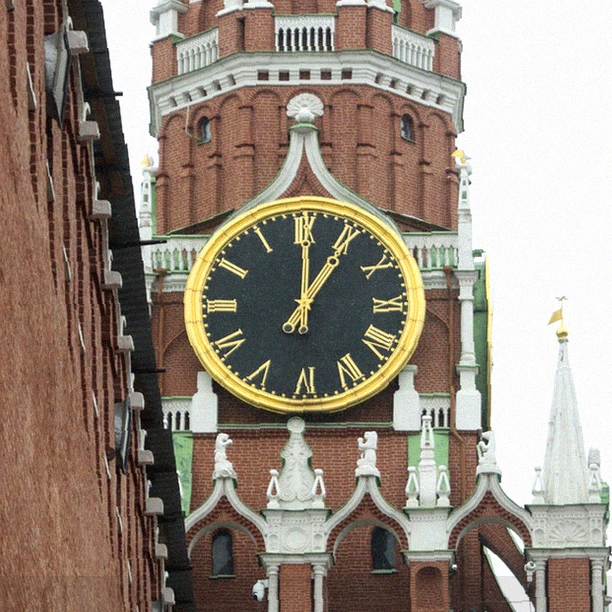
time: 1:00
